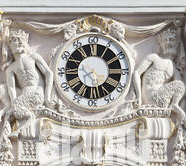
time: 5:40
